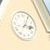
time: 3:04
